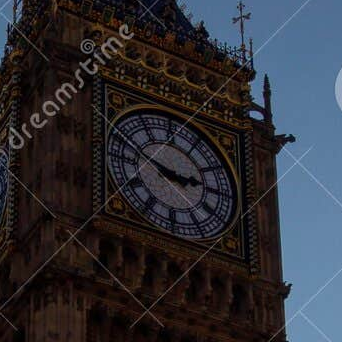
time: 2:48
